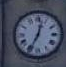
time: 12:34
